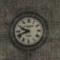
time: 9:41
